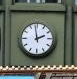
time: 1:58
